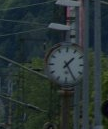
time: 1:25
